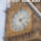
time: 2:24
